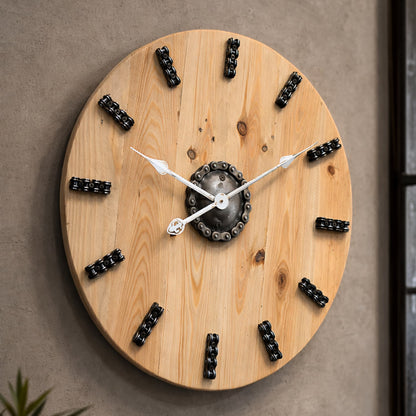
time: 7:48
